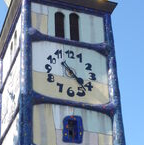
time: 4:23
